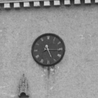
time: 5:15
